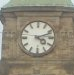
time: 4:11
